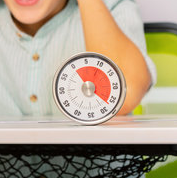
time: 4:22
